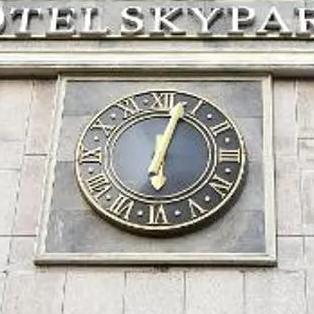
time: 12:02
